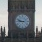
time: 8:48
